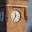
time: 11:35
